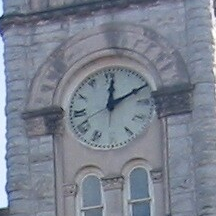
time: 12:10
